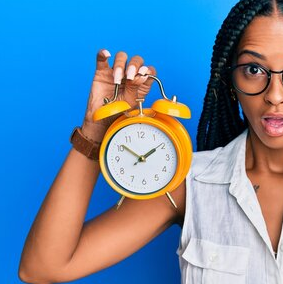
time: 1:50
